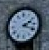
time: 2:18
